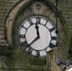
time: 11:37
